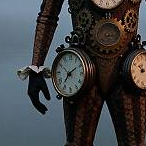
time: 7:09
